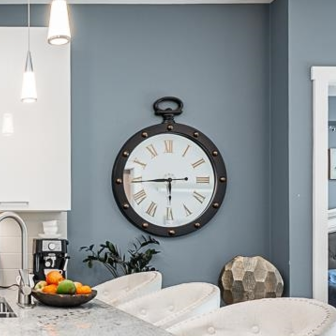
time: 5:44
